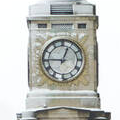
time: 12:45
